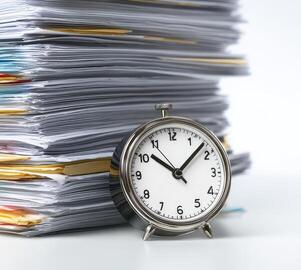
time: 10:07
